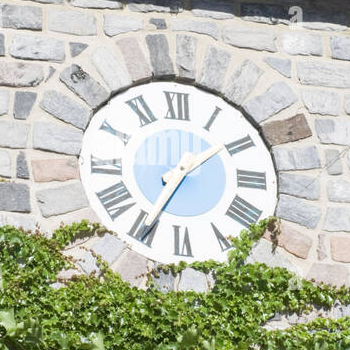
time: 1:34
